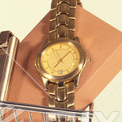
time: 7:07
